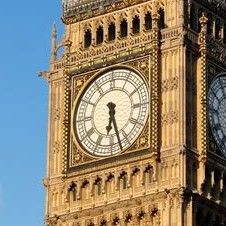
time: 6:27
